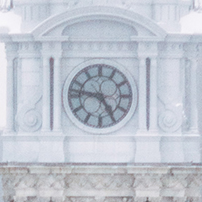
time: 4:46
